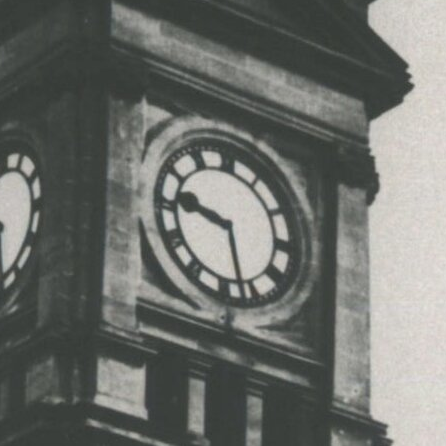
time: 9:27
